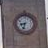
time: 8:33
